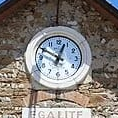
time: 12:49
